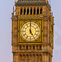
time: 4:59
